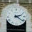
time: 2:21
